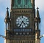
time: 4:35
